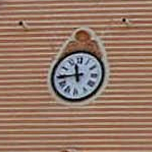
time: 11:43
